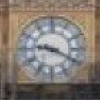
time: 9:19
